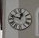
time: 12:47
